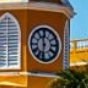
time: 11:32
